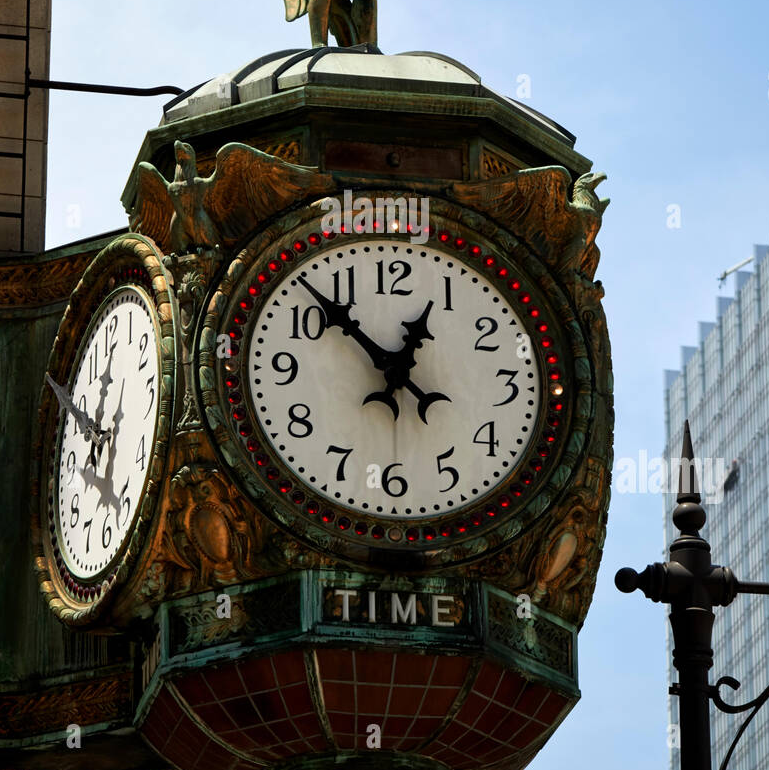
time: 12:52
